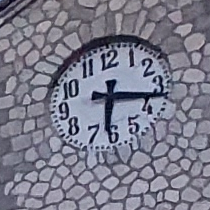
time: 6:17
